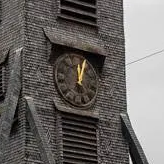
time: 12:03
